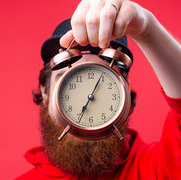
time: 7:04
